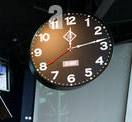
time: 12:13
